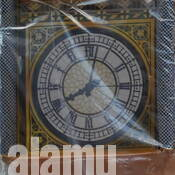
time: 8:02
